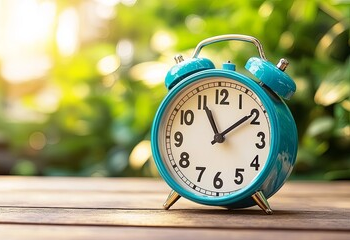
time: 11:09
